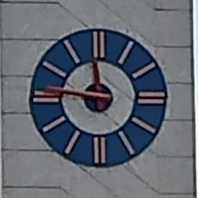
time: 11:46
